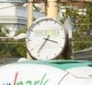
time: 3:36
